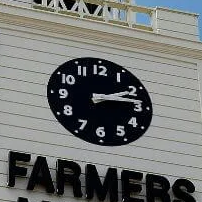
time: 2:13
